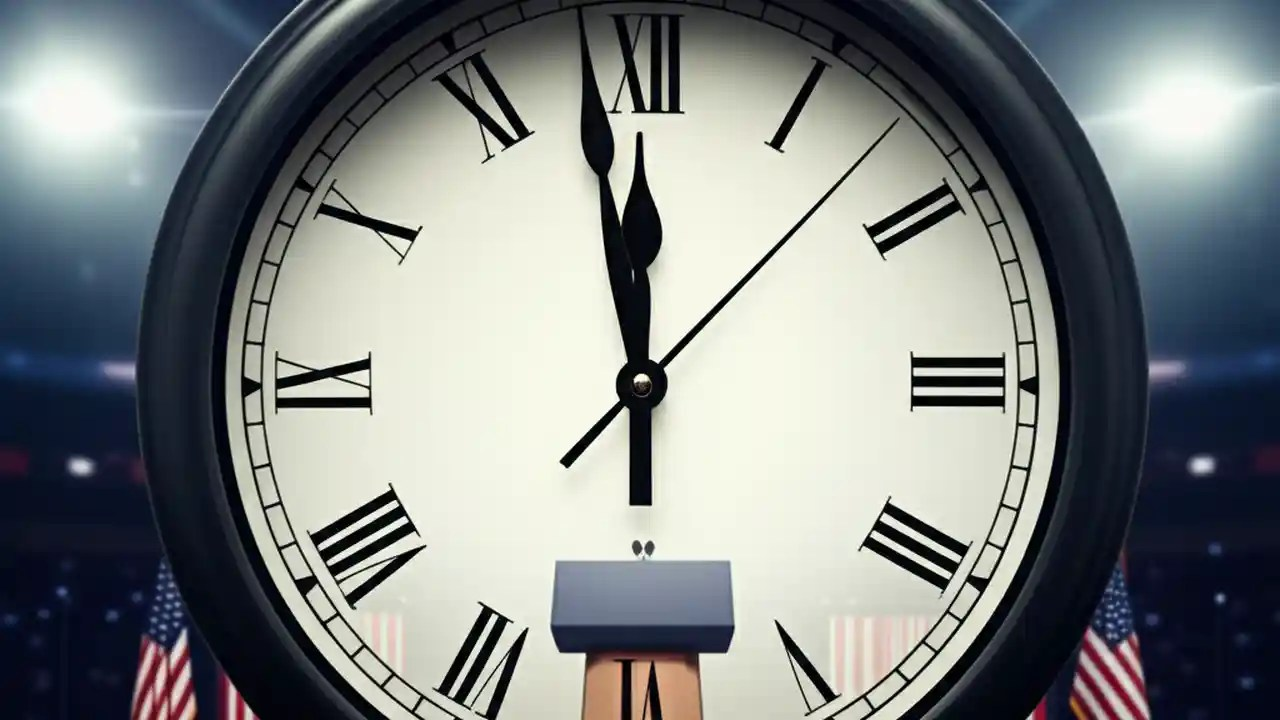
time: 11:58
